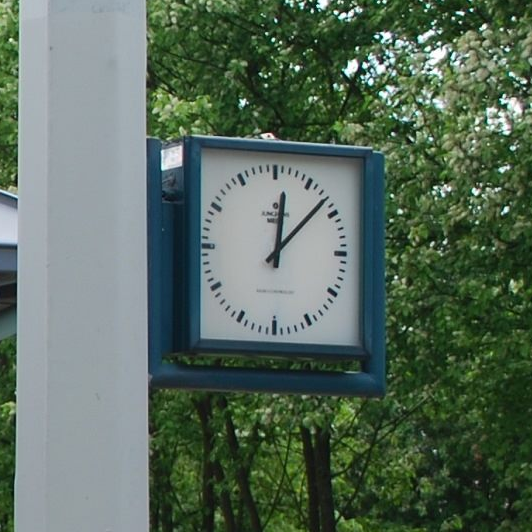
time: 12:07
